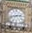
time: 2:42
